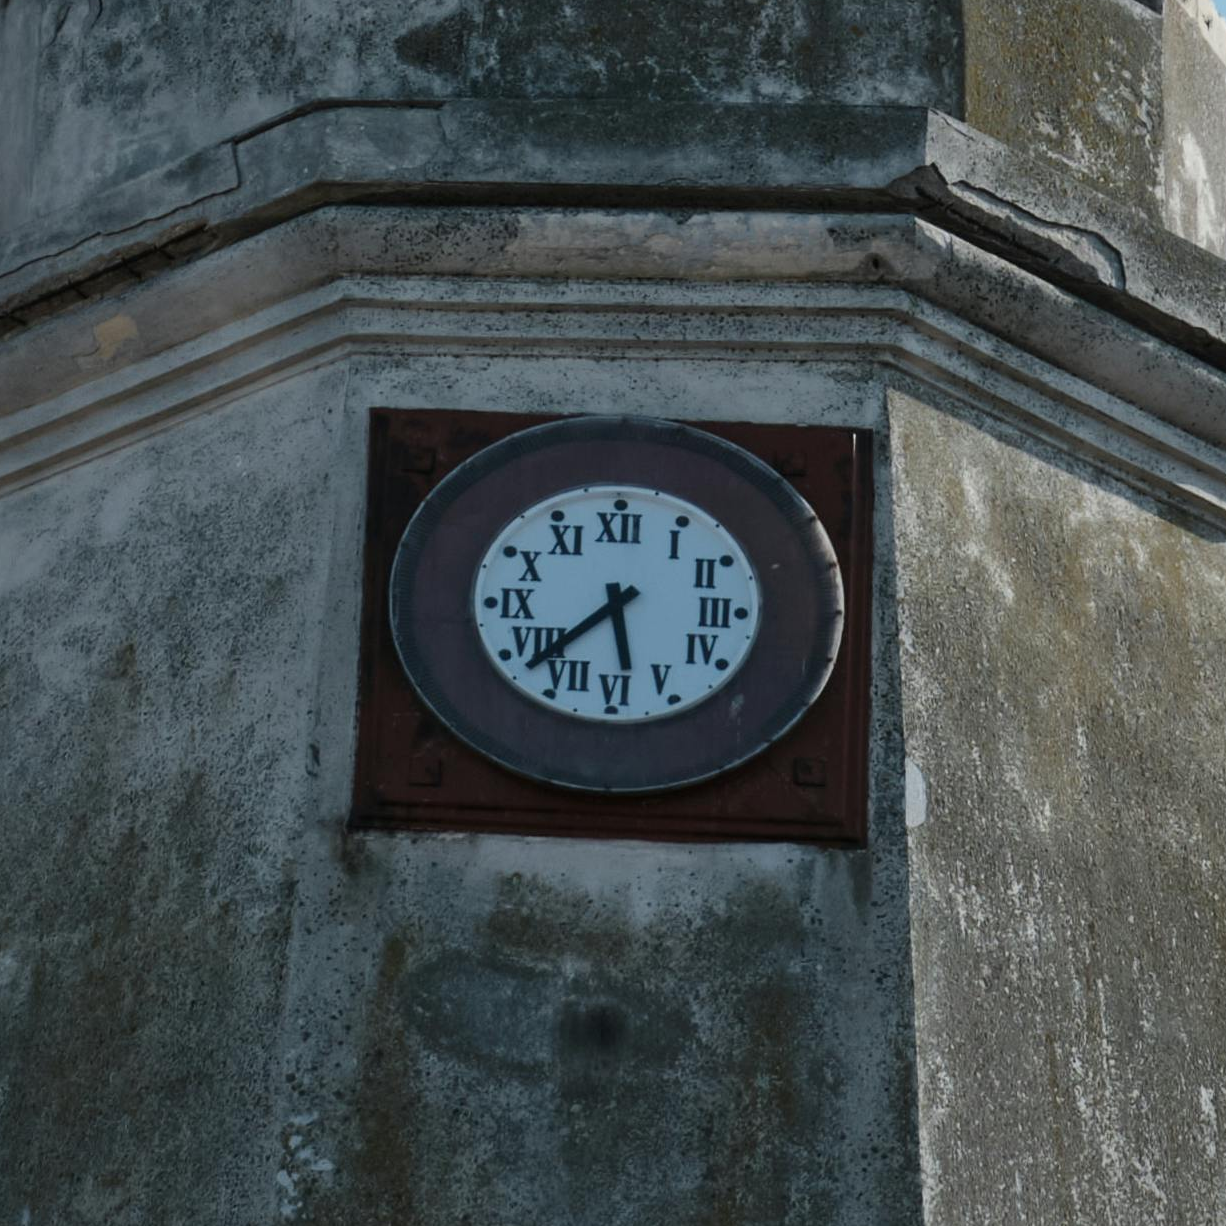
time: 5:37
